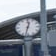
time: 12:32
